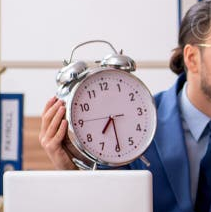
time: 7:29
